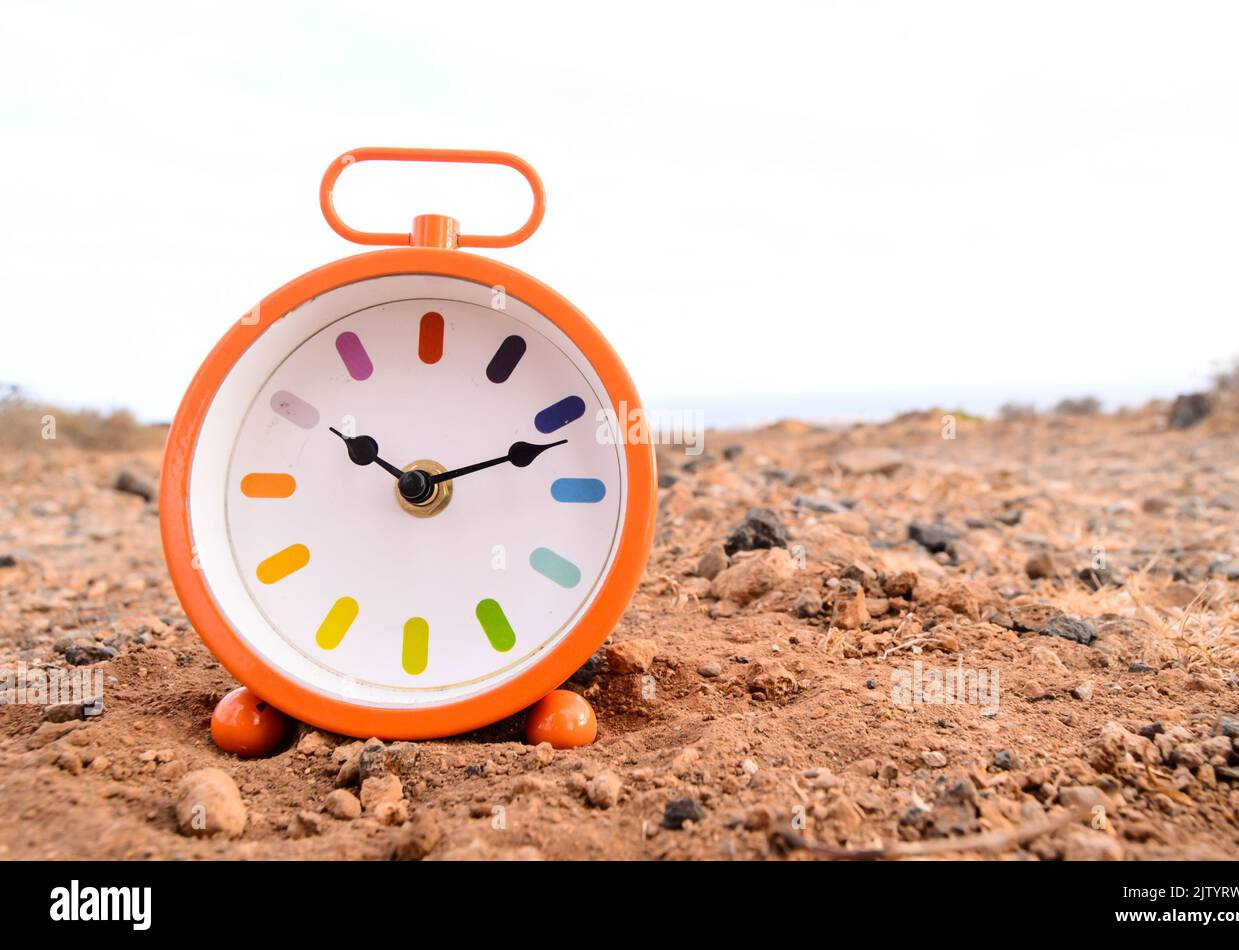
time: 10:11
